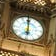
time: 5:59
